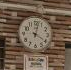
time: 4:02
